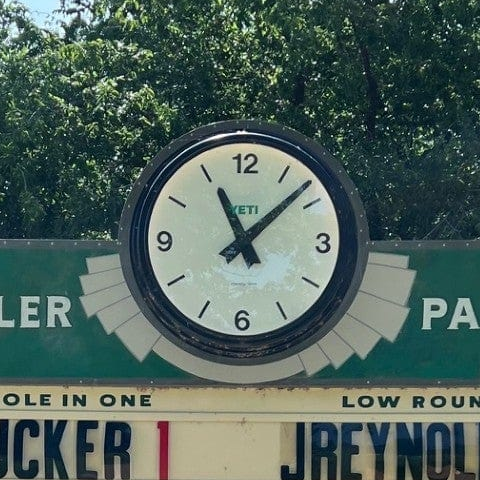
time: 11:08
